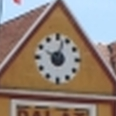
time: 10:03
